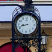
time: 8:42
